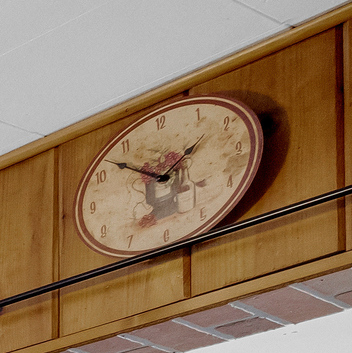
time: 1:52
